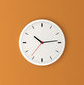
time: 10:13
